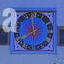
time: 7:58
